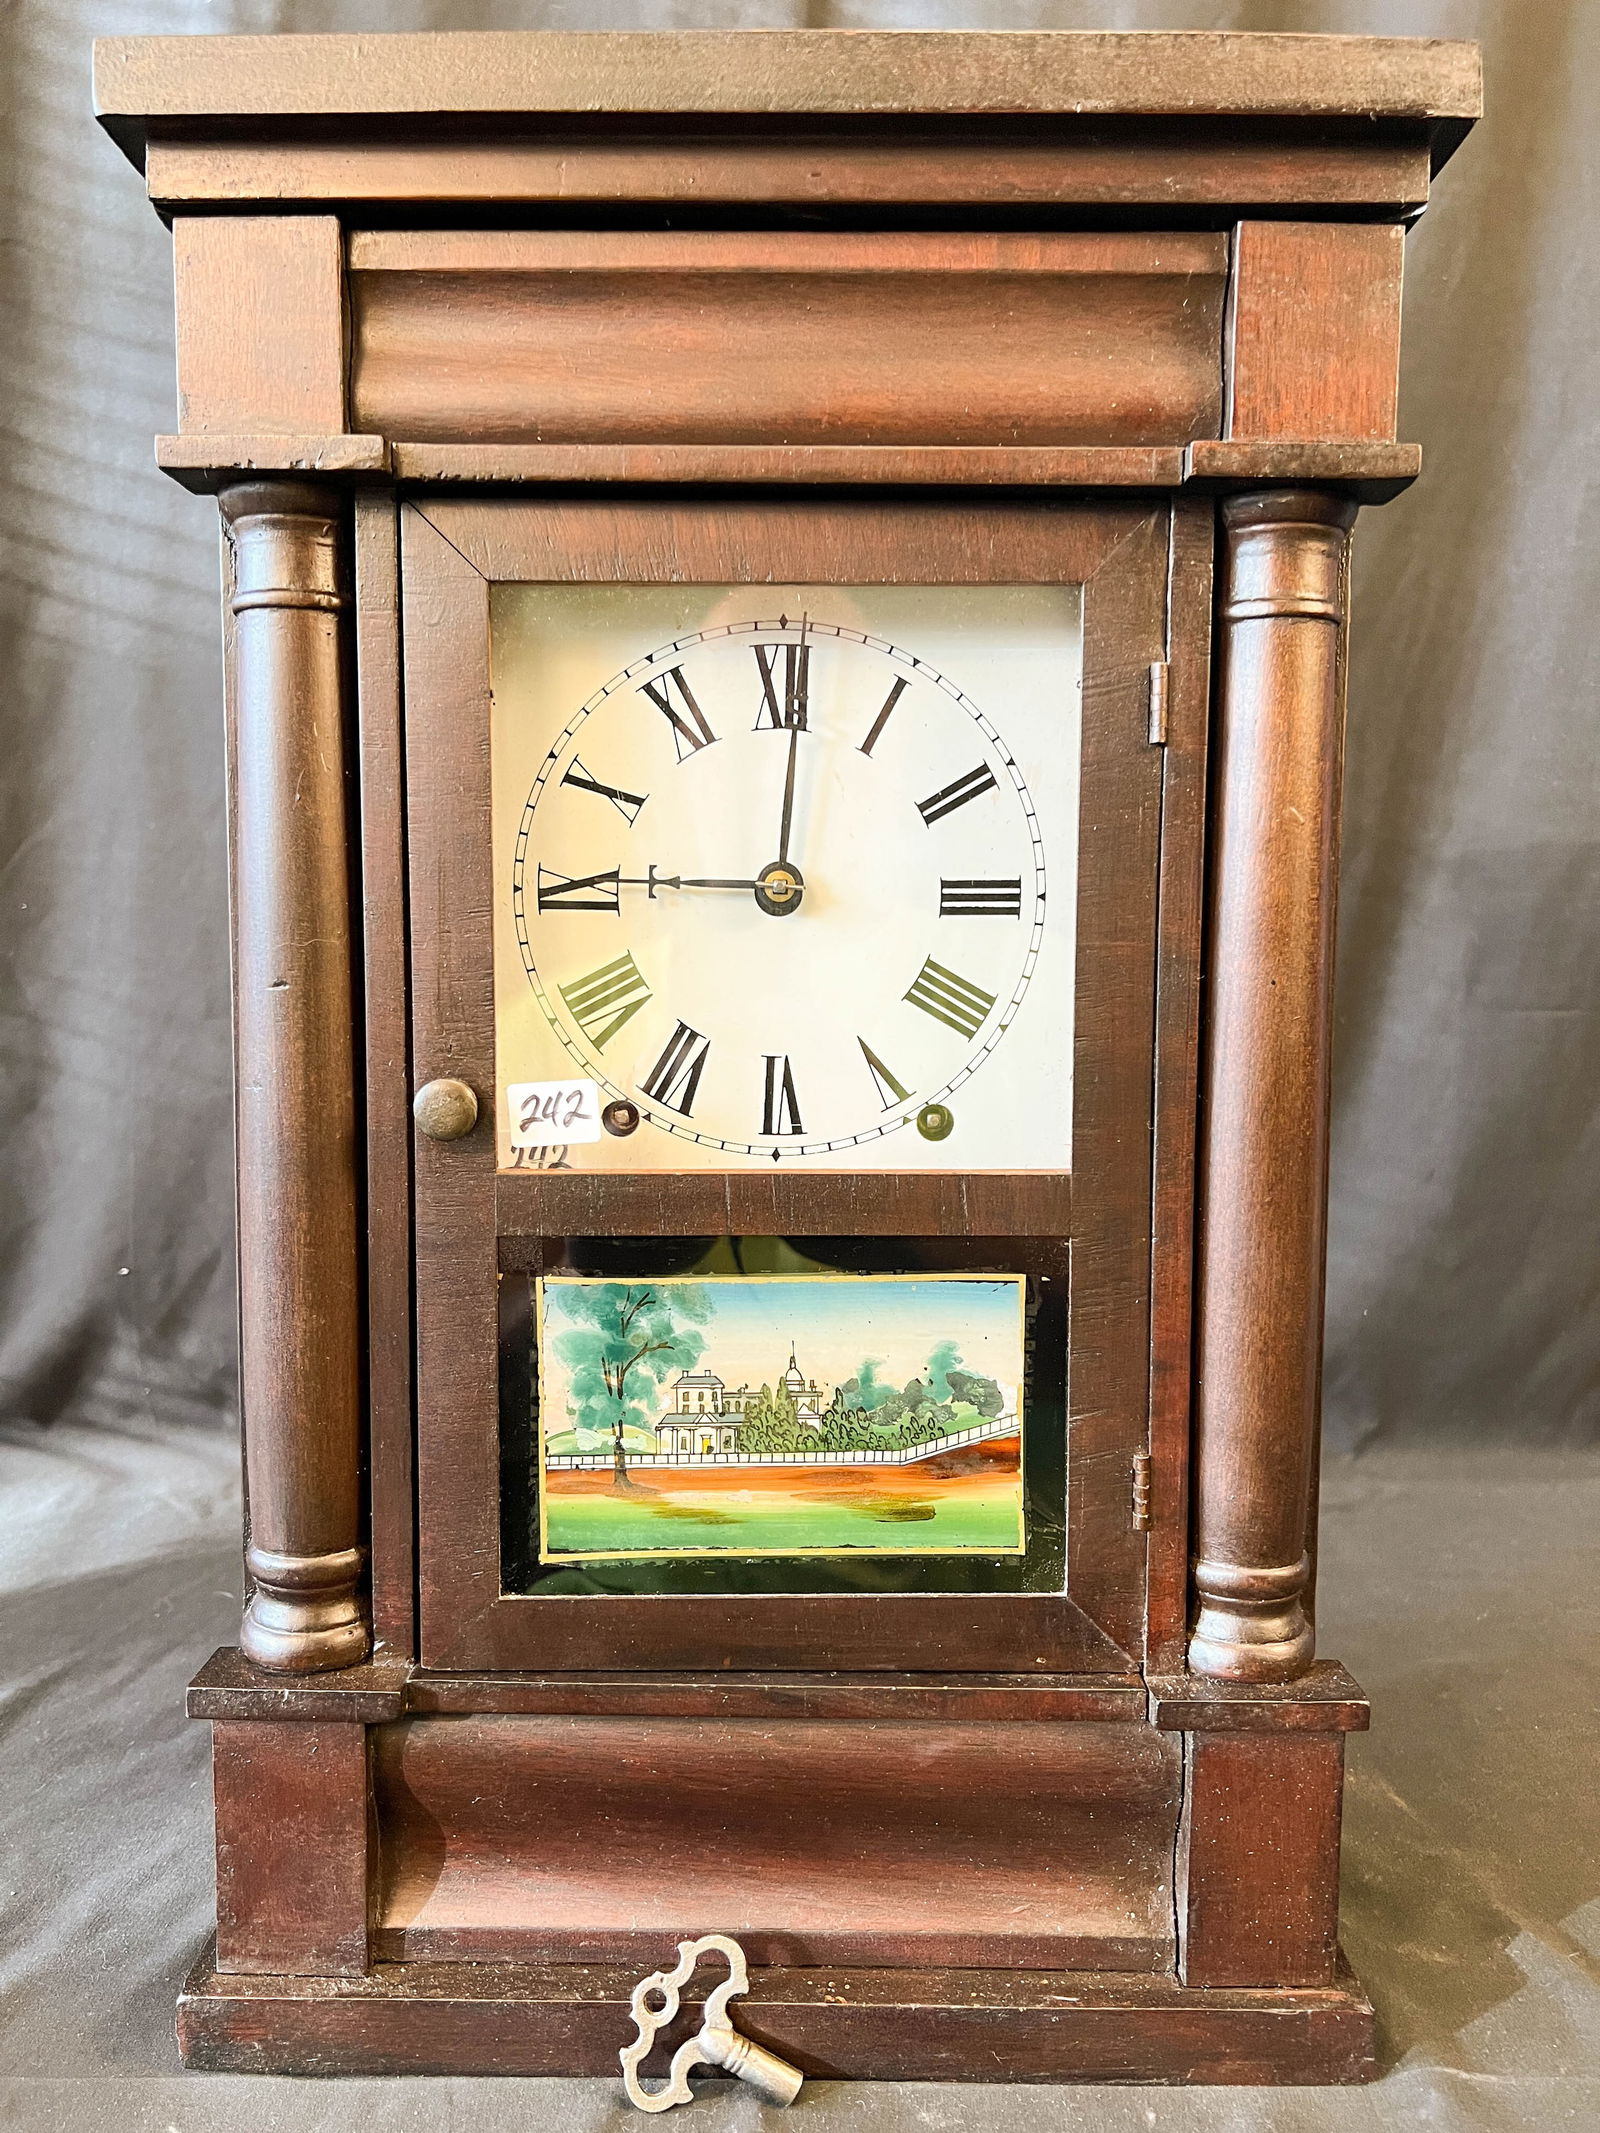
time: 9:01
